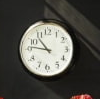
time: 10:46
